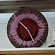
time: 10:24
